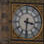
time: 3:31
